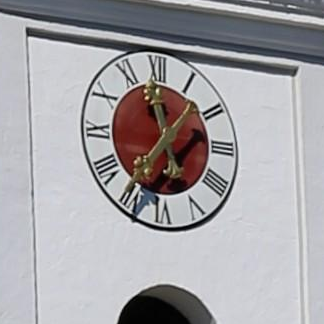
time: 11:36
